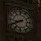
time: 8:40
